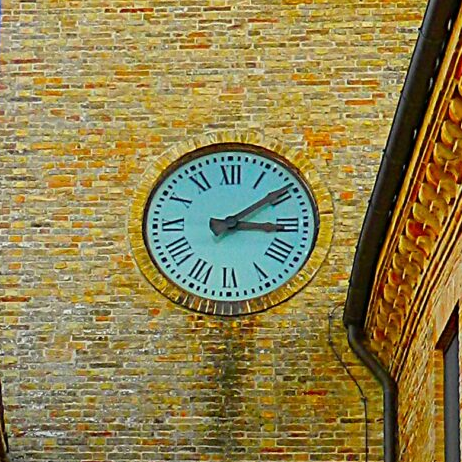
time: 3:09
